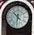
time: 10:31
